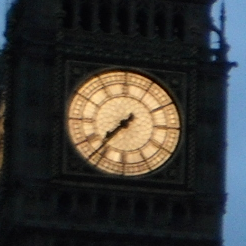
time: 7:36
